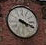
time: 4:18
